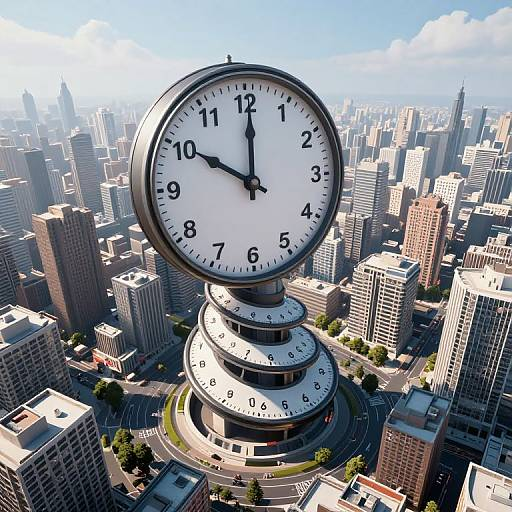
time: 10:00
